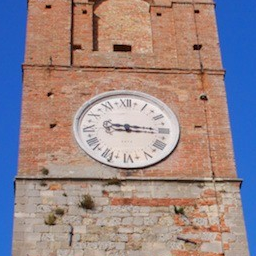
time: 9:15
